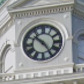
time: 10:24
